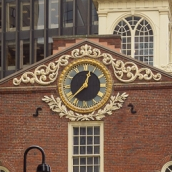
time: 12:37
